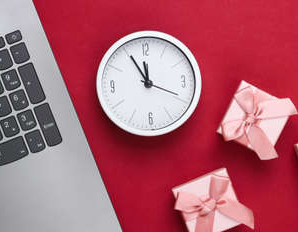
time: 11:55
